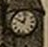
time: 10:02
